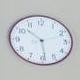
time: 10:28
